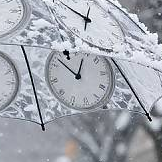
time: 12:52
